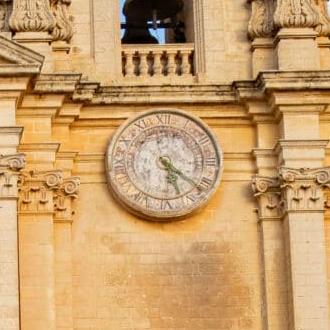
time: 5:21
